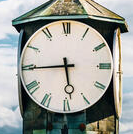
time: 5:44
